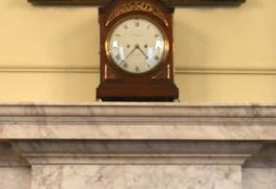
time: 4:37
